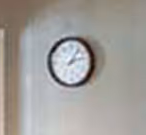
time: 1:12
